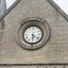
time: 4:30
